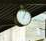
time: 7:04
